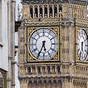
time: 5:34
